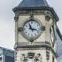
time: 11:17
